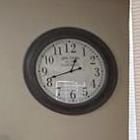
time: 12:41
